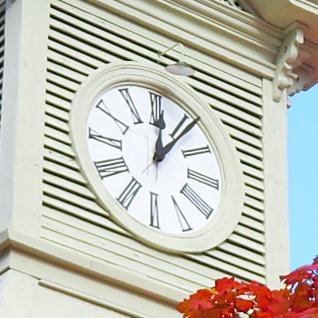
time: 12:05
